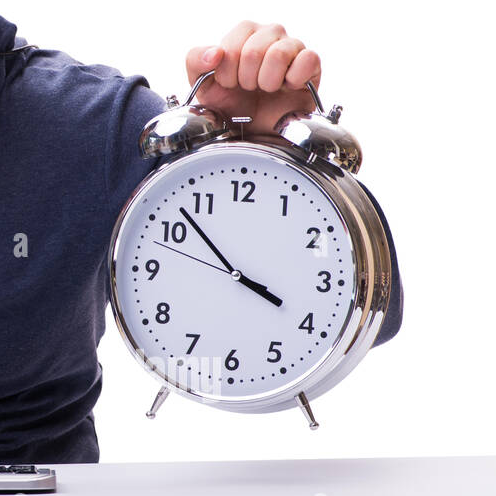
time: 3:52
